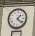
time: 1:21
